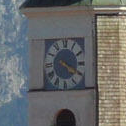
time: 4:19
